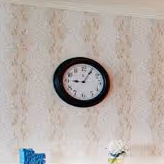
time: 9:05
